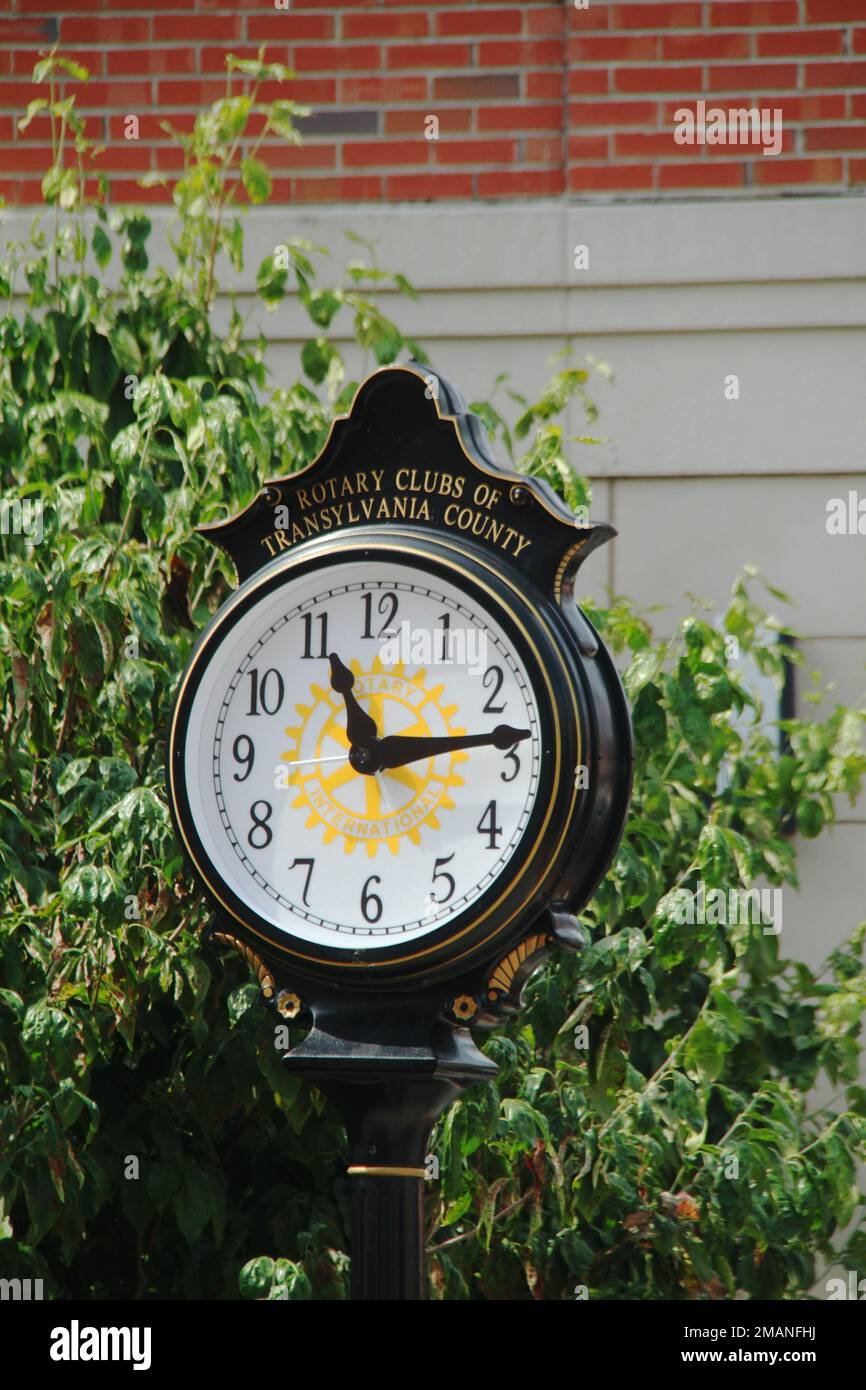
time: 11:13
